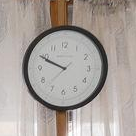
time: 9:49
